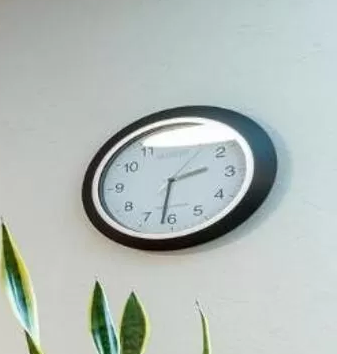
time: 2:31
